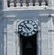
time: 10:48
